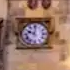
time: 10:00
